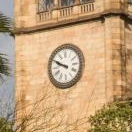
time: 9:48
